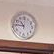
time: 10:45
